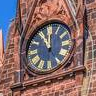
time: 10:59
